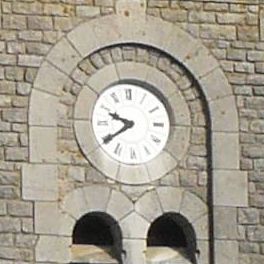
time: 9:39
